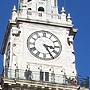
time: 3:24
